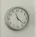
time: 11:22
